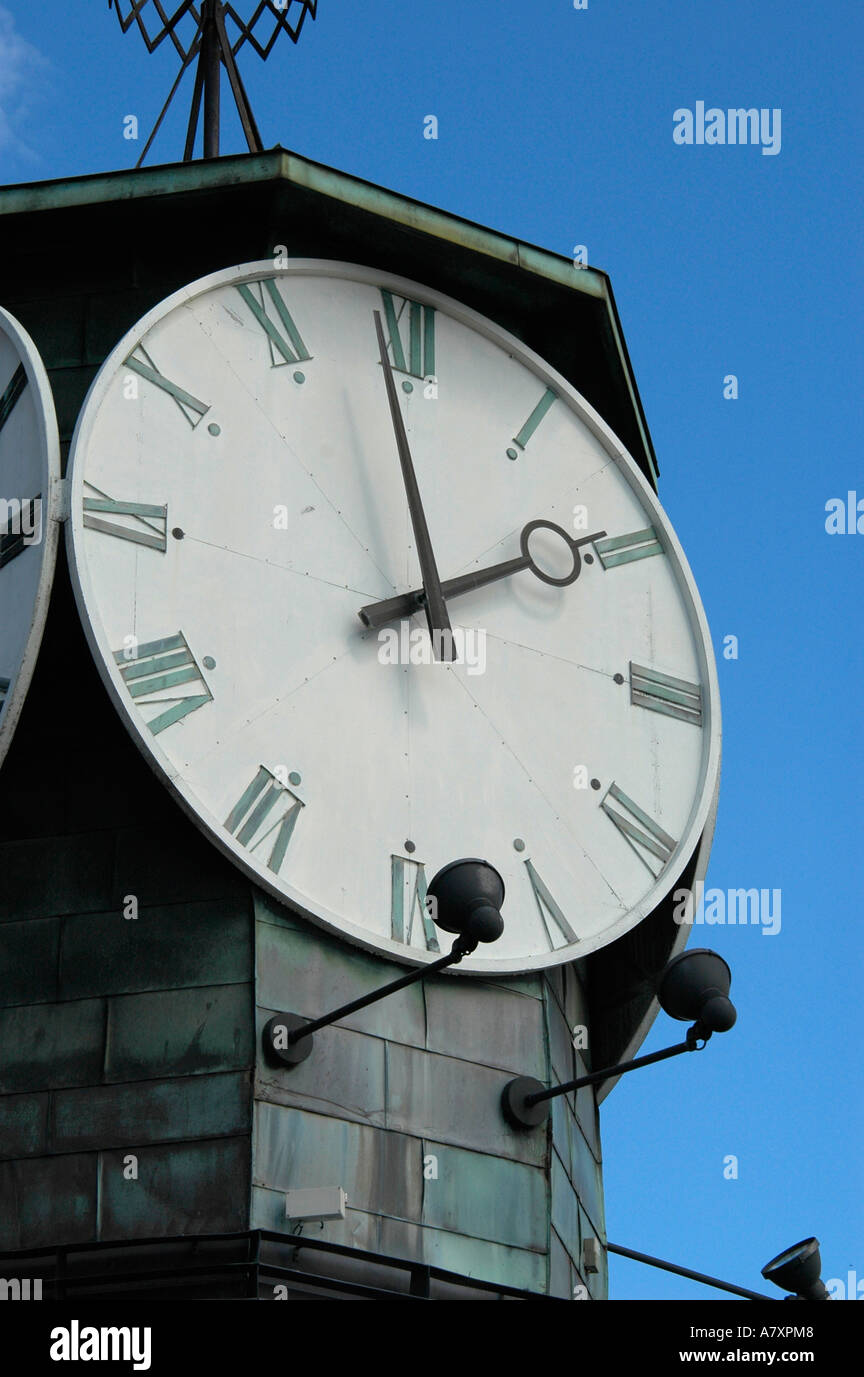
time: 1:58
